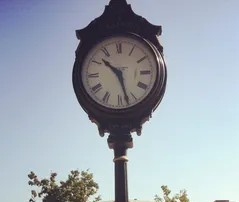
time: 10:27
